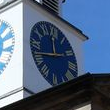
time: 11:41
